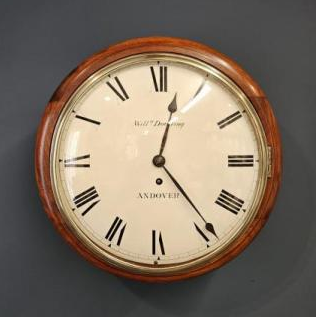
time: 12:23
